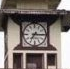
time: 7:15
